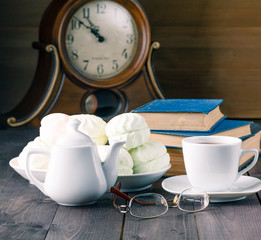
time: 10:51
